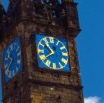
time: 10:39
